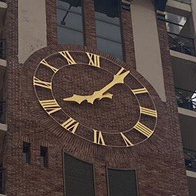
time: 8:06
